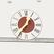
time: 12:36
